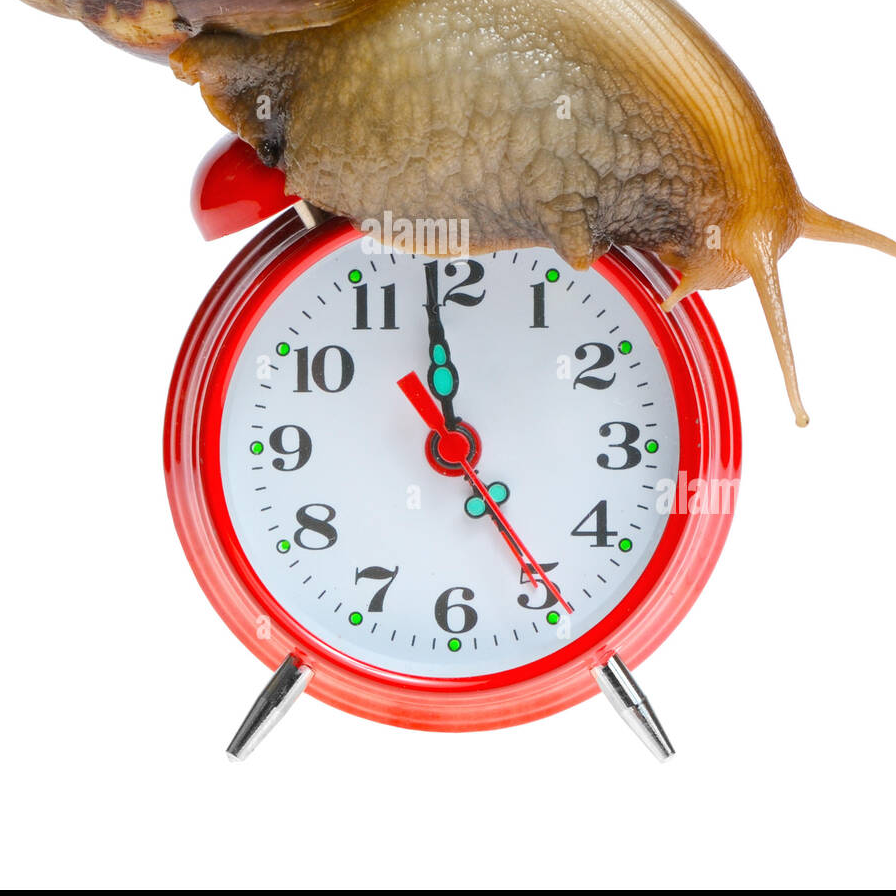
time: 4:58
